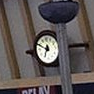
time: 6:49
